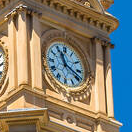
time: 11:19
